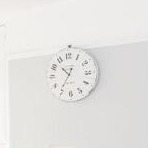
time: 10:35
